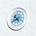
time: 10:41
